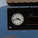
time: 3:42
